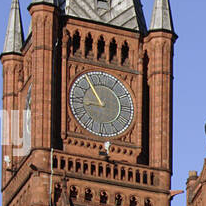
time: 10:43
